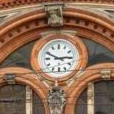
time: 2:49
